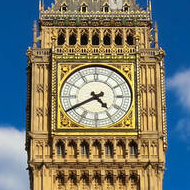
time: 4:40
